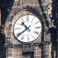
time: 10:39
